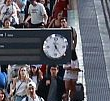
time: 4:59
